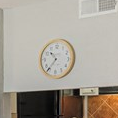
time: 10:36
